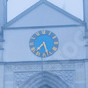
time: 7:27
